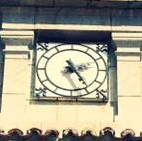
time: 2:24
